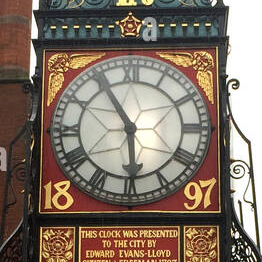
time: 5:54
